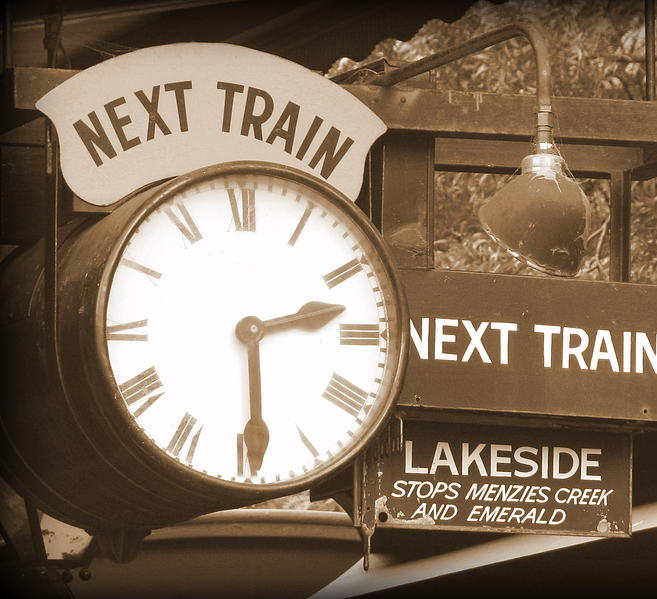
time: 2:29
